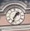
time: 1:33
